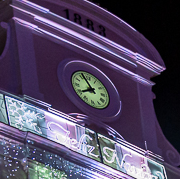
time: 7:55
